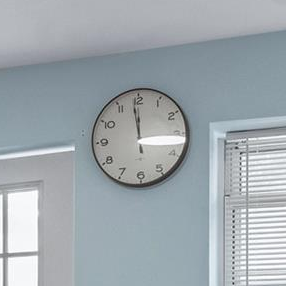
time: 11:58
